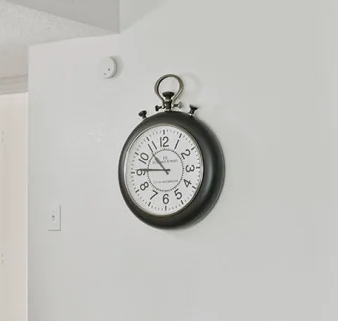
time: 10:45
